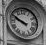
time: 9:50
